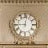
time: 9:01
